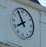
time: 7:55
